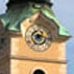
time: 7:17
